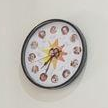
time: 7:34
